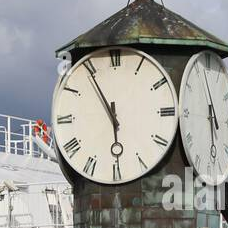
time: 5:54
